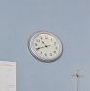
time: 10:41
